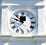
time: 12:49
